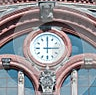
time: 3:00
